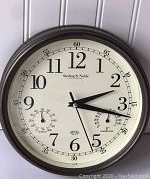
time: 2:17
